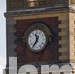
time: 11:35
